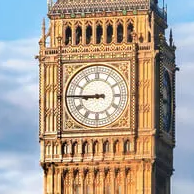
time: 8:45
